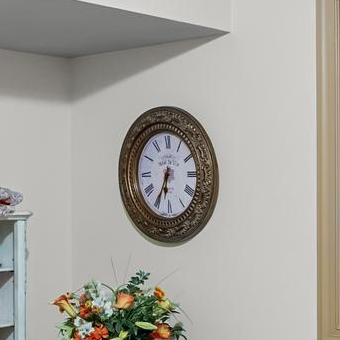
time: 6:34
